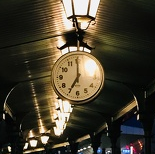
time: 6:59
